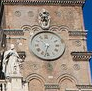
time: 6:32
